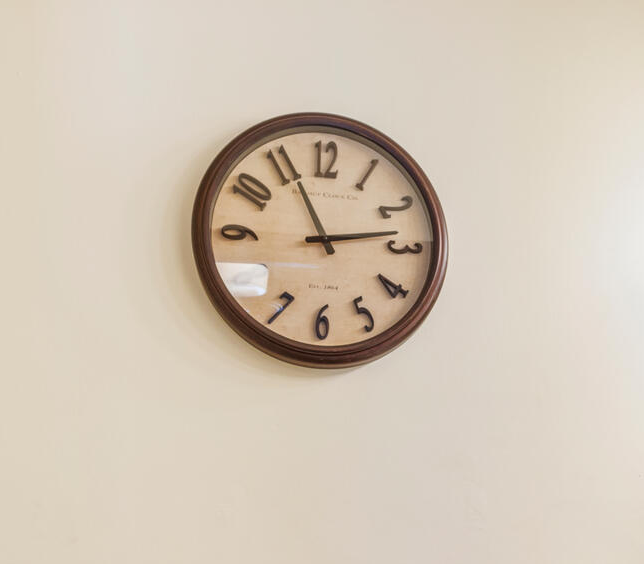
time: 11:13
